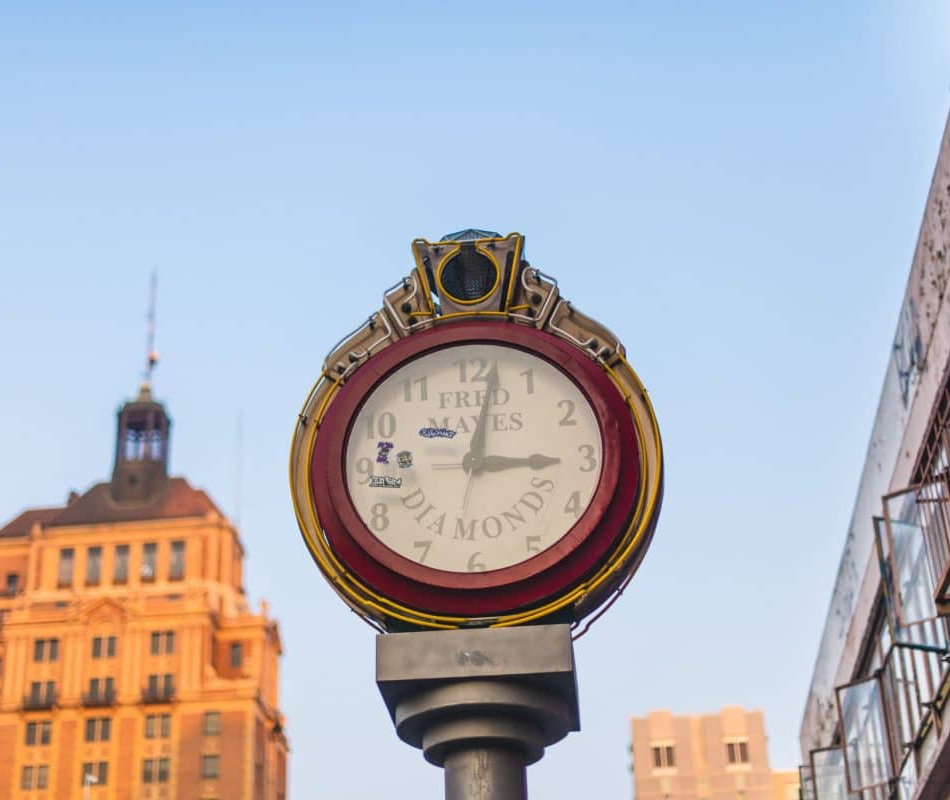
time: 3:01
